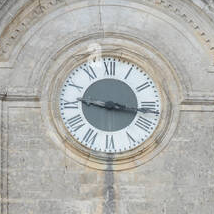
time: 9:16
